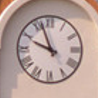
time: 9:56
